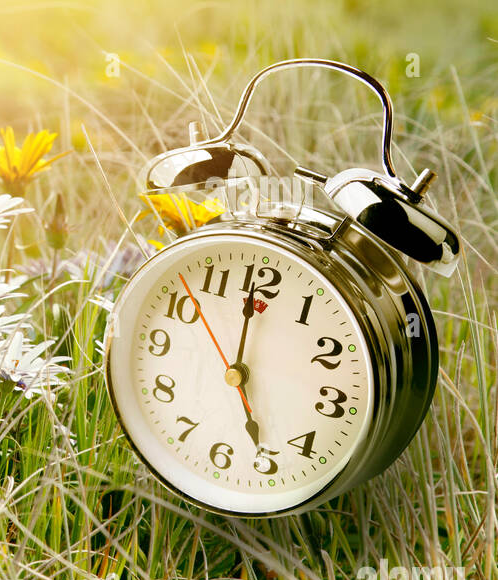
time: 4:59
